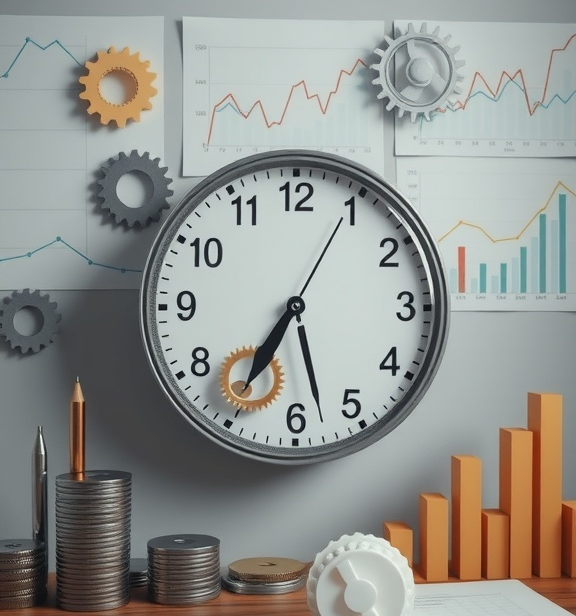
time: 5:35
